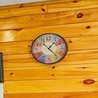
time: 1:23
